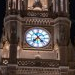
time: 7:23
